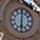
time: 6:01
